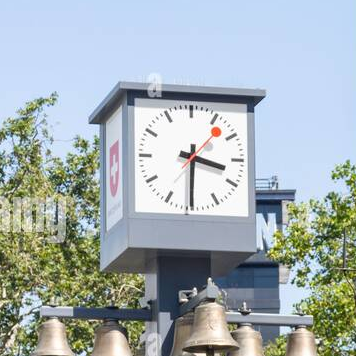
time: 3:30
